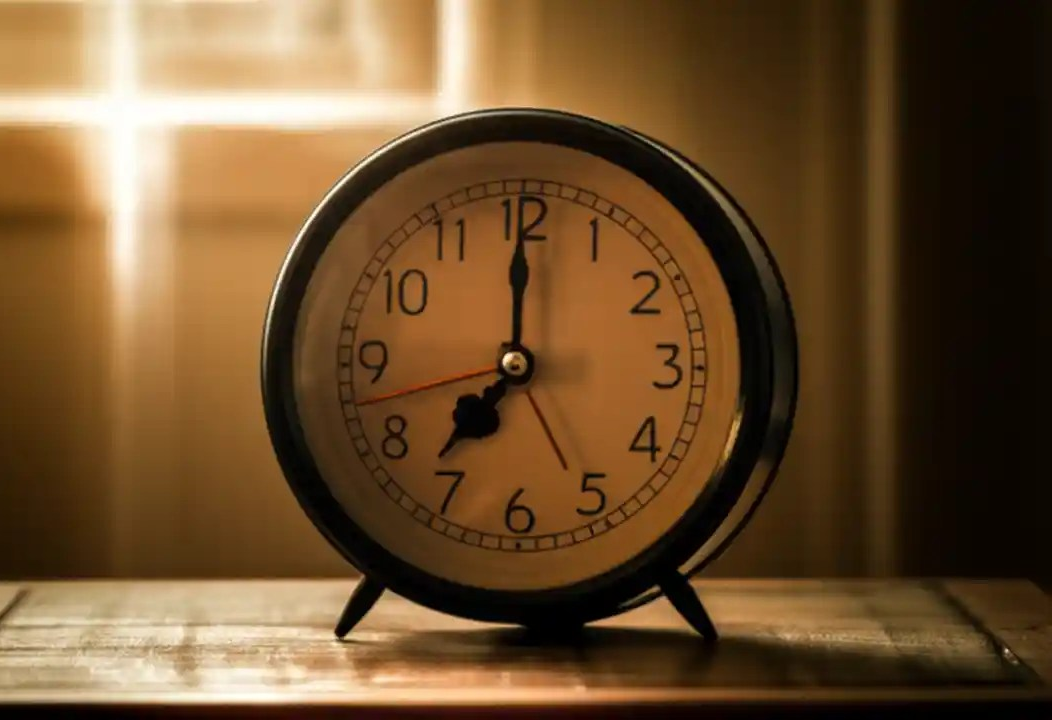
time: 7:00
